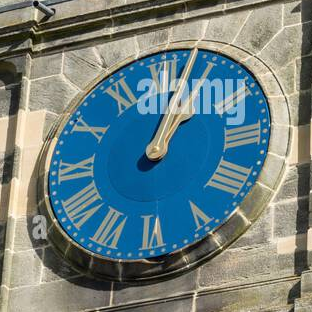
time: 1:02
